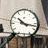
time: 10:17
